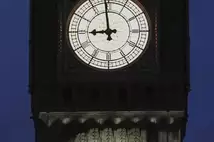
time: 8:58
